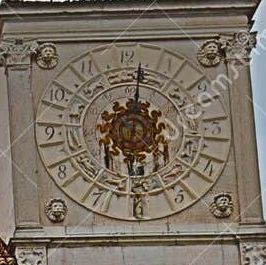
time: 6:01
